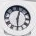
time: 12:29
